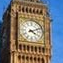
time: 4:10
